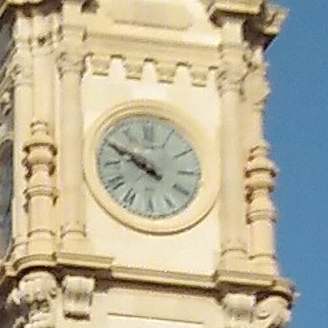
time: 9:49
